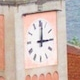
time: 12:14
